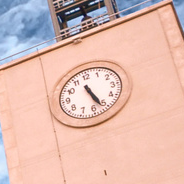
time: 5:26
